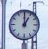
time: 1:00
